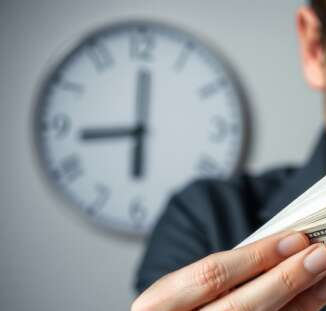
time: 5:43
